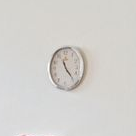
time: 11:23
